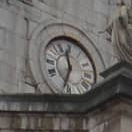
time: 11:33
